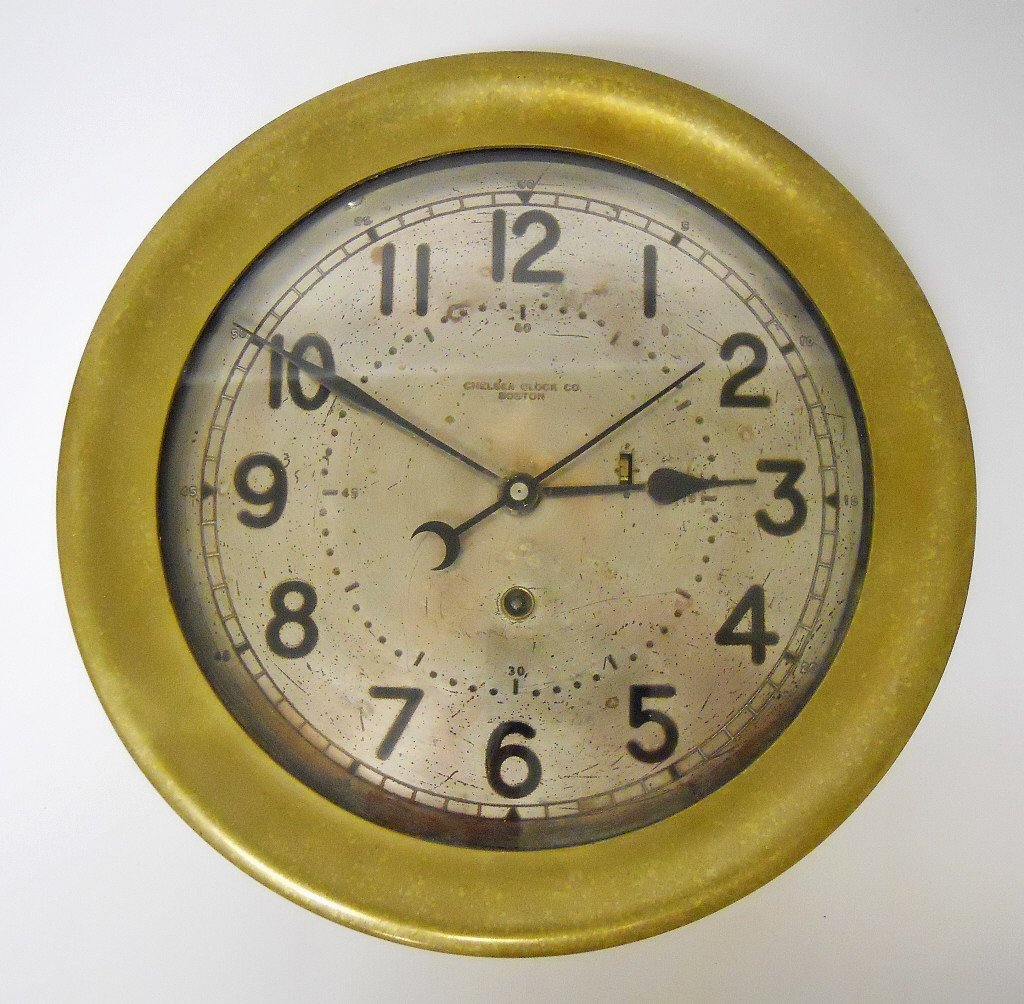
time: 2:50
